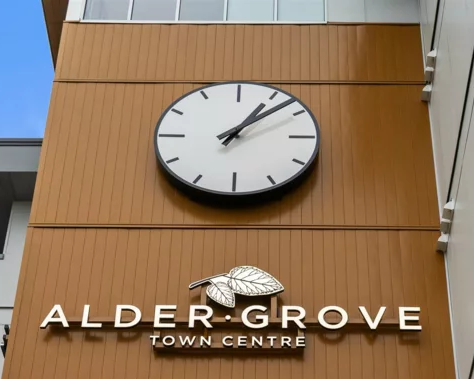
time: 1:07
